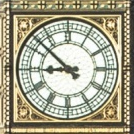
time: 8:51
